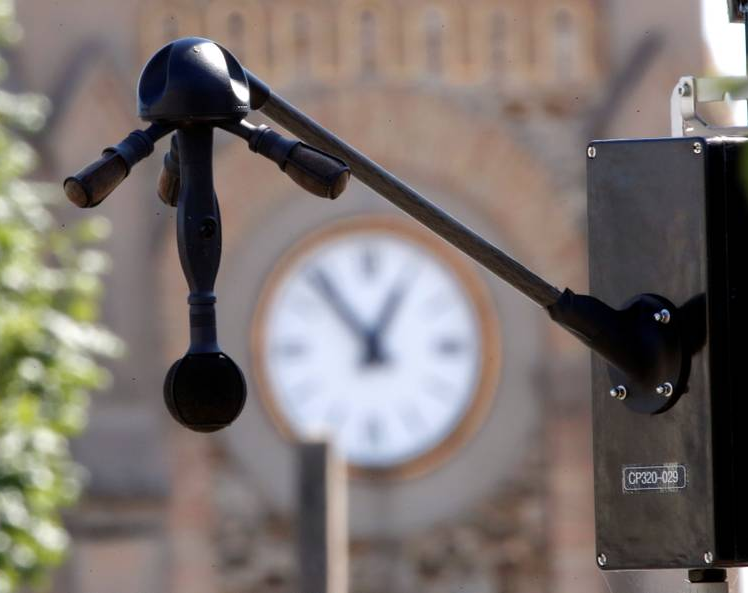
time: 12:53
